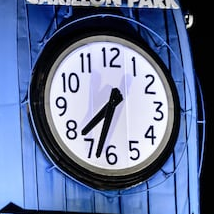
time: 7:32
